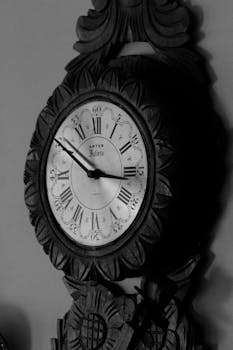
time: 2:49
